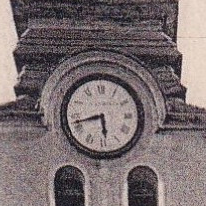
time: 5:42
